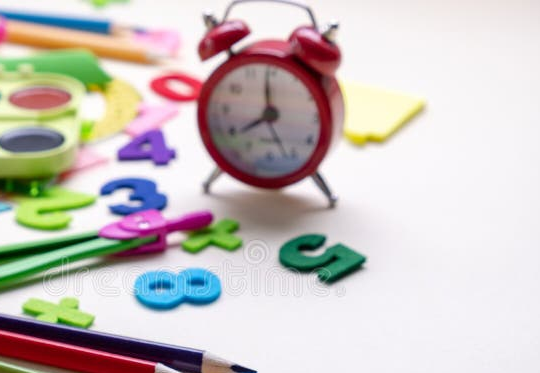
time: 7:58
